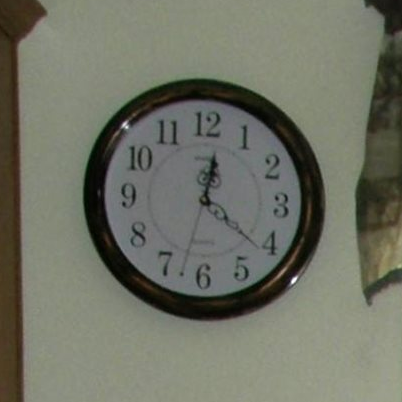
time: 12:21
